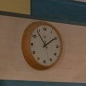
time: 1:54
